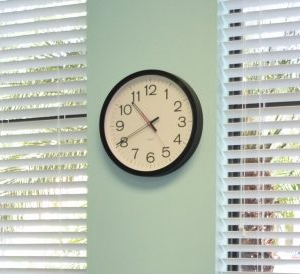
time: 10:40
